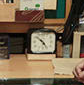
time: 4:51
